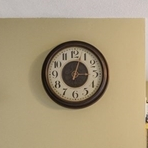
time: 3:02
